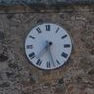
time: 7:27
